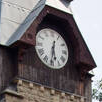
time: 5:31
